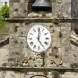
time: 5:01
